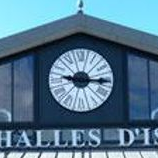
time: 9:15
